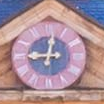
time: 9:01
